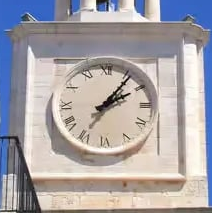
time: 2:06
